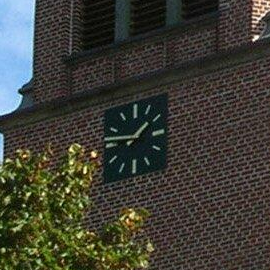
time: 1:46
